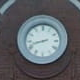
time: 8:42
